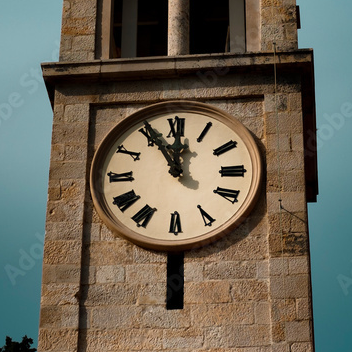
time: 11:55
